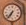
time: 6:36
